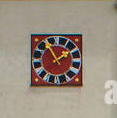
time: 1:55
